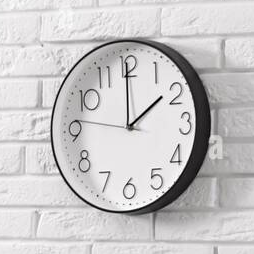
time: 1:59
